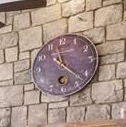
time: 11:22
